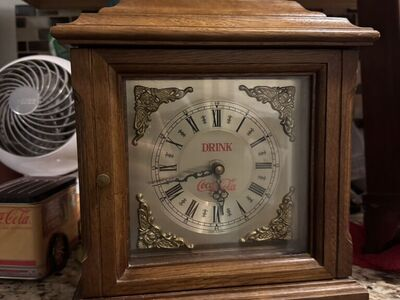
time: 5:41
